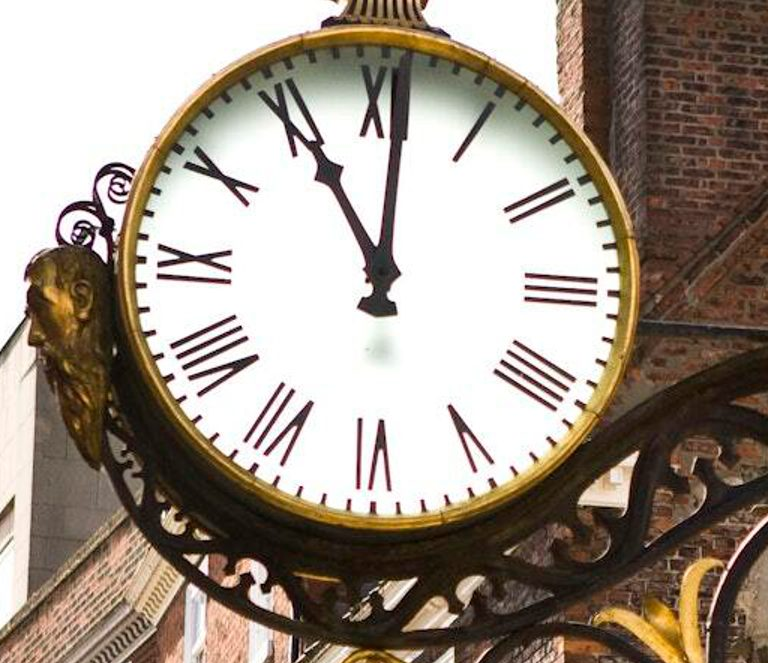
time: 11:00
